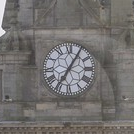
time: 7:05
